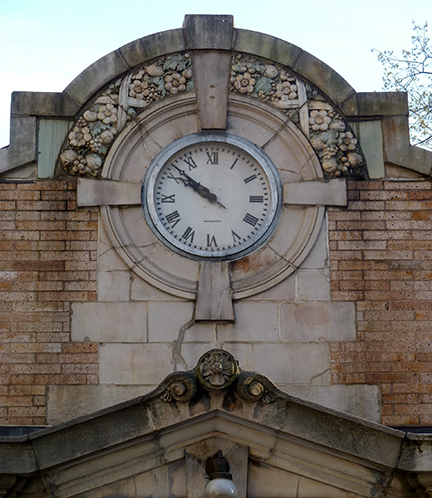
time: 9:51
